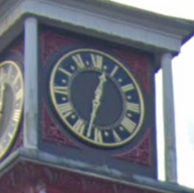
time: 12:32
